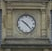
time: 10:23
